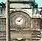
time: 9:07
